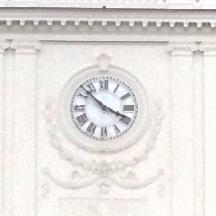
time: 3:52
